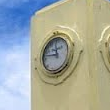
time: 11:46
